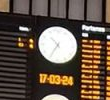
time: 10:35
